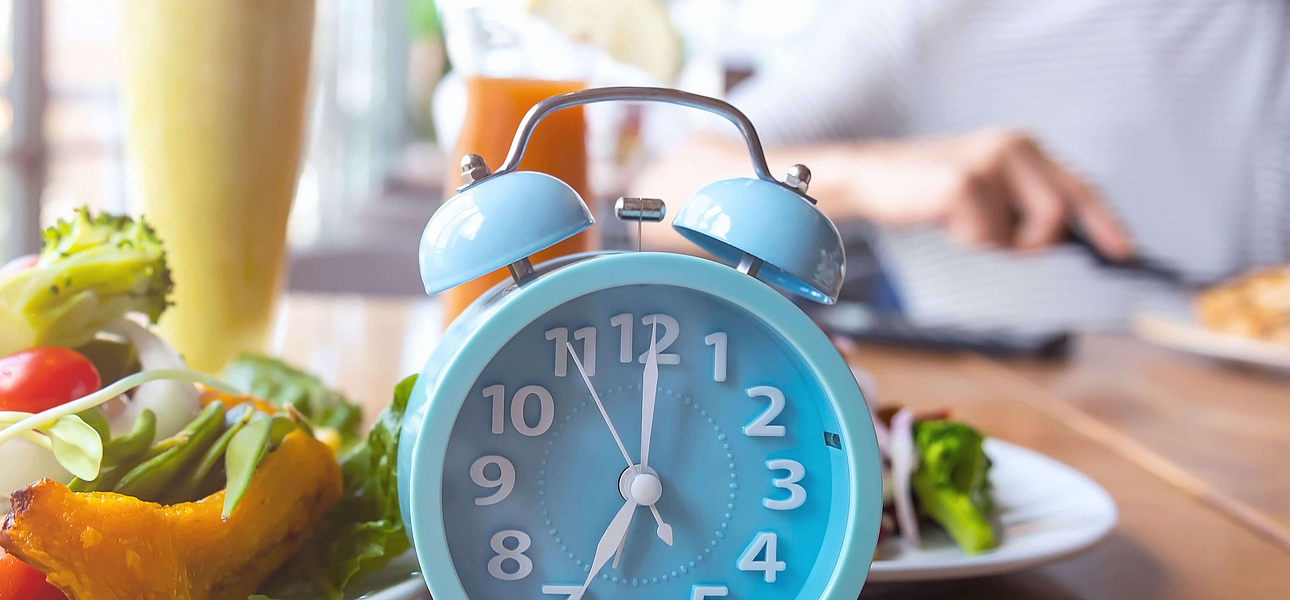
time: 7:00
